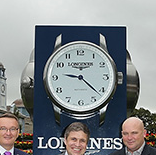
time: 9:21
